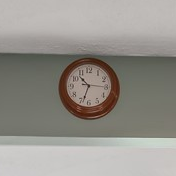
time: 10:33
